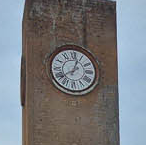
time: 12:39
